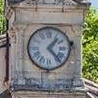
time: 1:22
